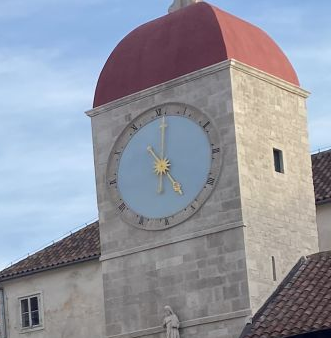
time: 5:01
